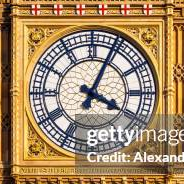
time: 4:04
